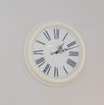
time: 1:11
